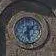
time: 1:28
